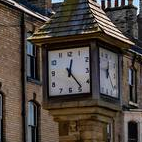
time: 12:23
